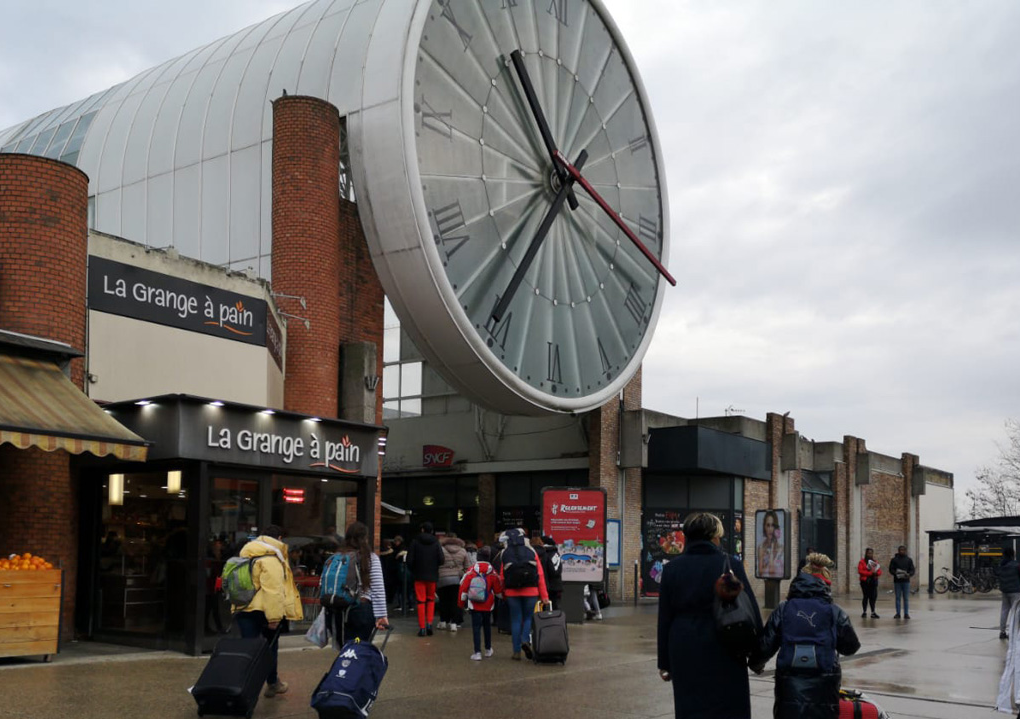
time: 10:36
